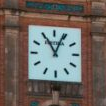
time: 11:04
